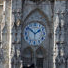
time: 1:51
